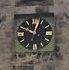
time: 10:03
